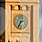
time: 2:34
